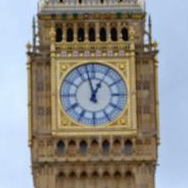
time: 12:57
